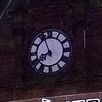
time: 7:55
